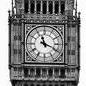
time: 11:19
